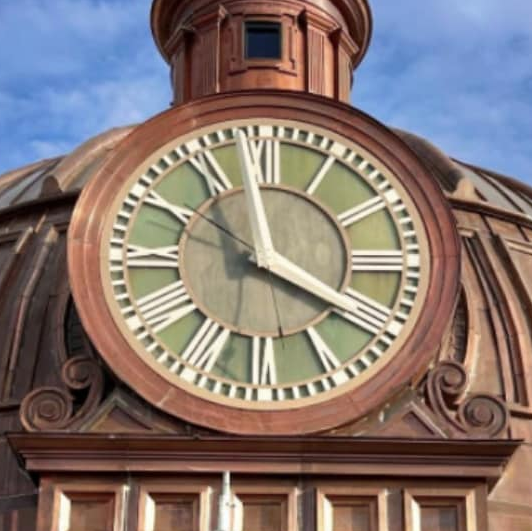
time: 3:58
